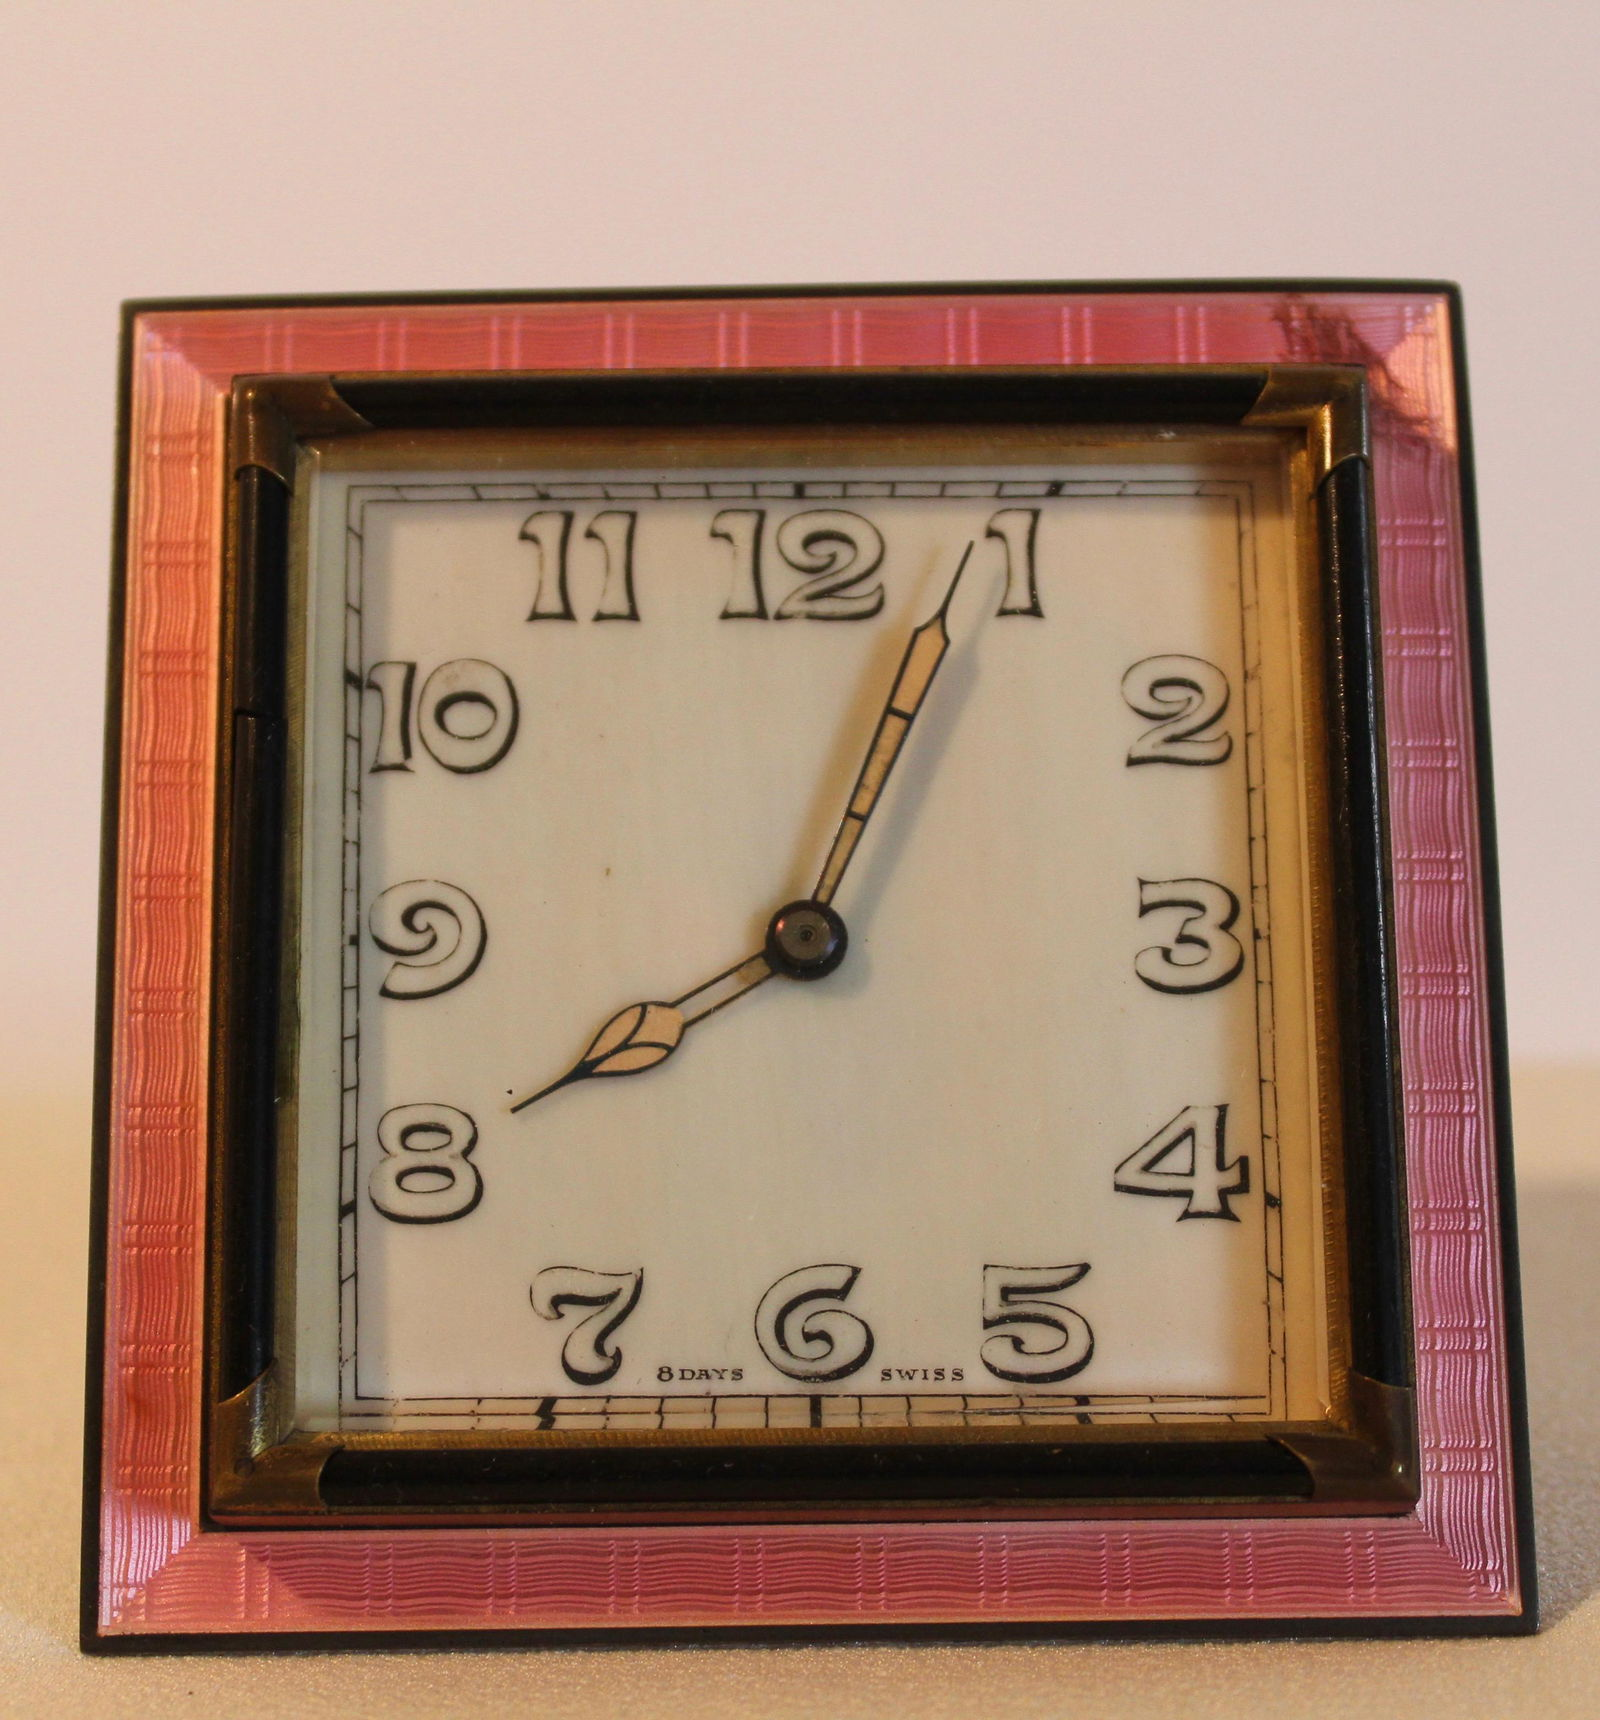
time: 8:04
